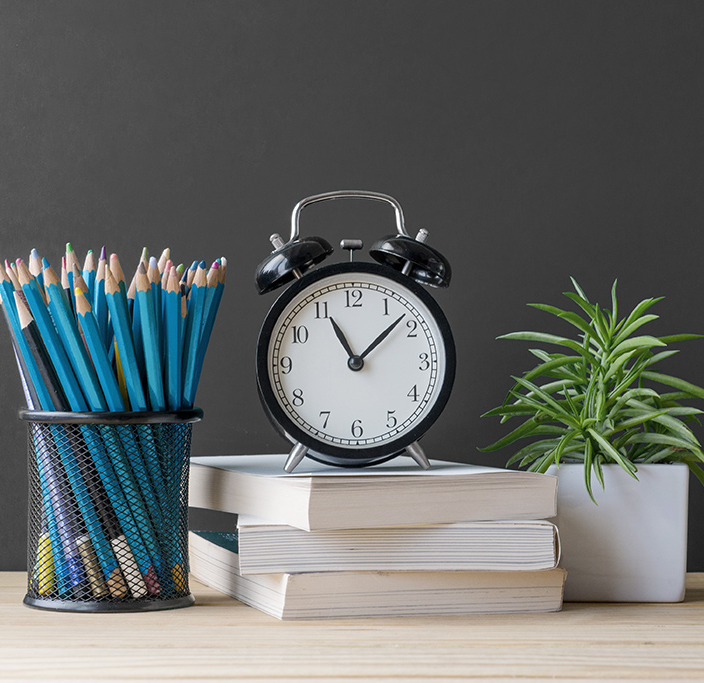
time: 11:08
